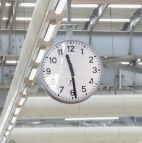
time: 11:28
